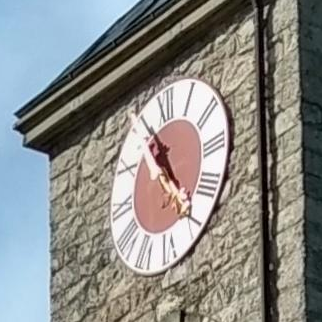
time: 4:56
